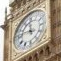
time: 11:46
